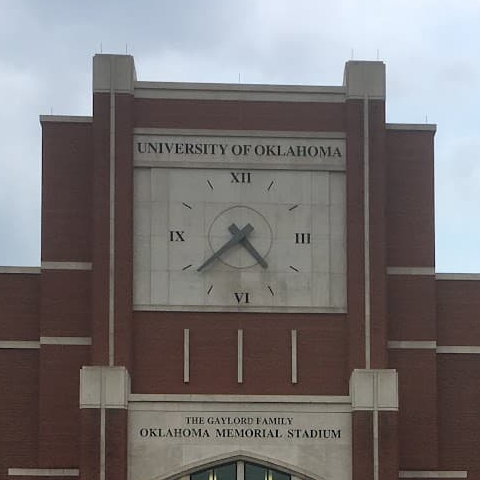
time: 4:38
